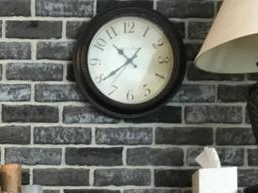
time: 10:39
